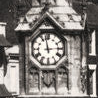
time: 2:58
